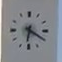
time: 6:19
